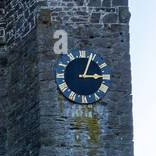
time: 3:04
